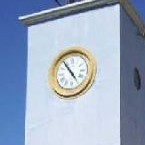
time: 4:54
